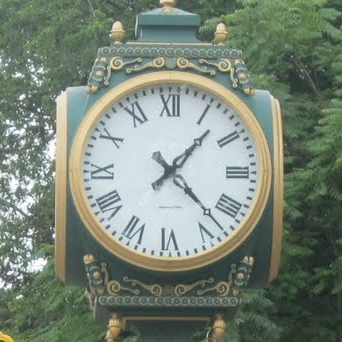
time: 1:22
